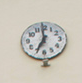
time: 6:59
